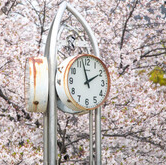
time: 1:57
